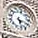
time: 5:18
